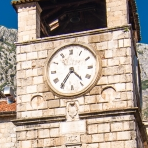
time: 4:35
